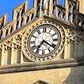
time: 7:21
